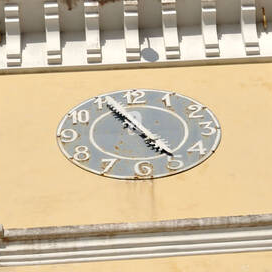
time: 4:55
